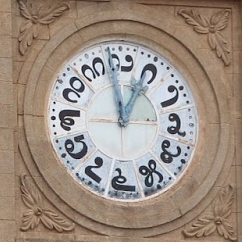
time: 12:58
